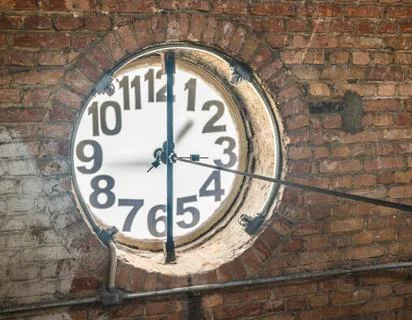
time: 1:16
